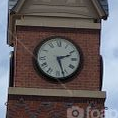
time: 2:26
